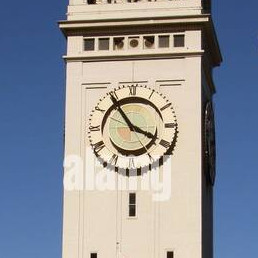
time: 3:54
